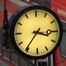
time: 3:35
